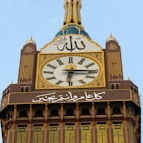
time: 6:15
